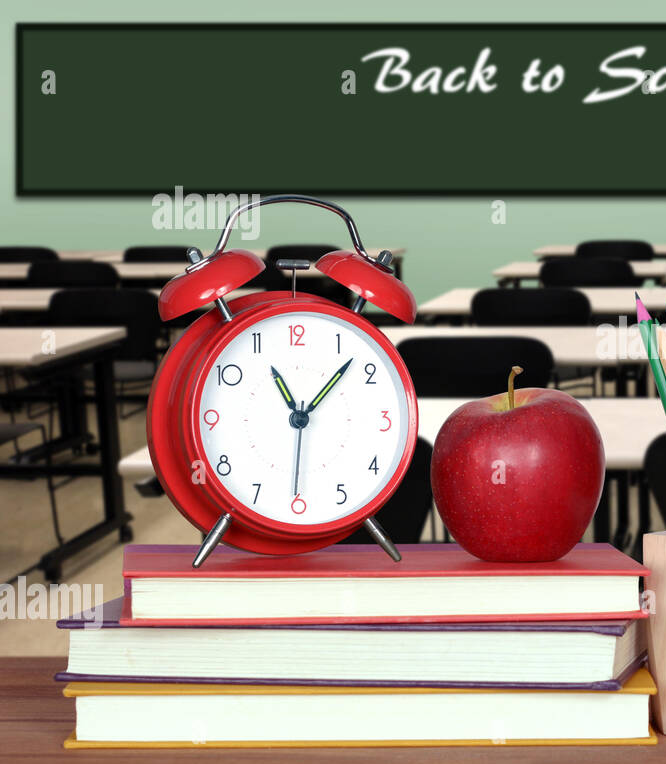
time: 11:07
